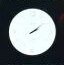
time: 2:09
